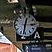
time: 12:32
